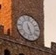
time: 5:26
